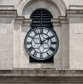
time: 1:57
